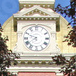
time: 9:38
